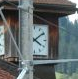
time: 4:09
